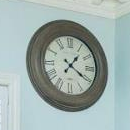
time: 1:20
